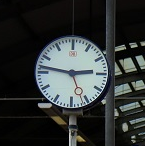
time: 2:46
